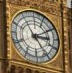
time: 3:10
